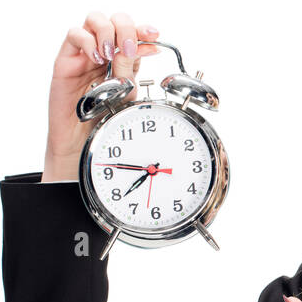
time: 7:46
